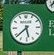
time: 5:38
